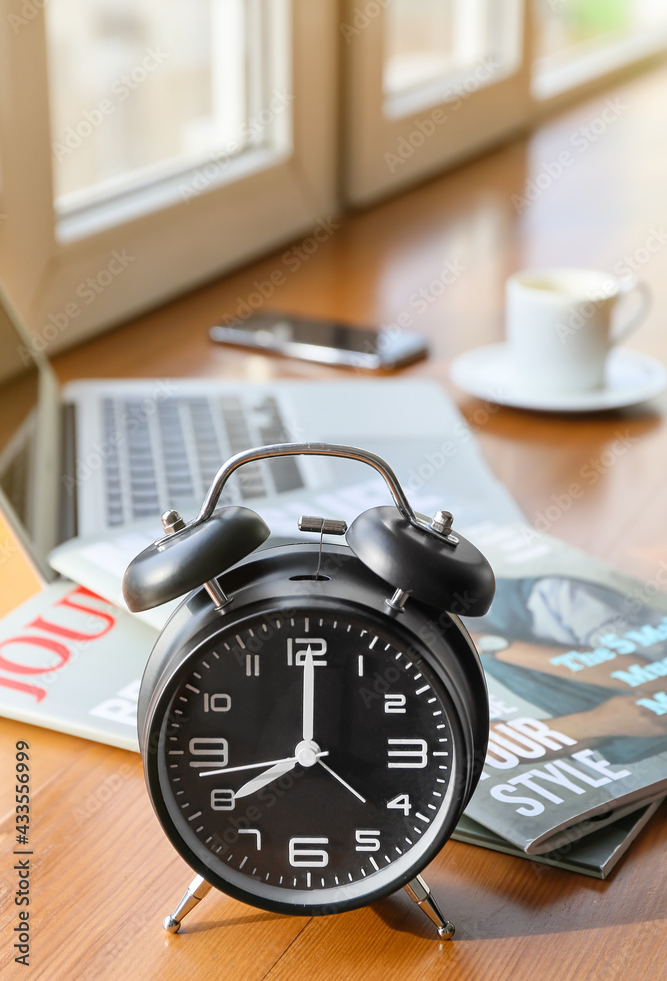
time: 8:00
